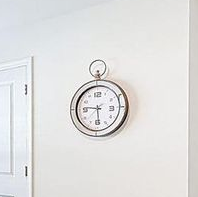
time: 5:45
